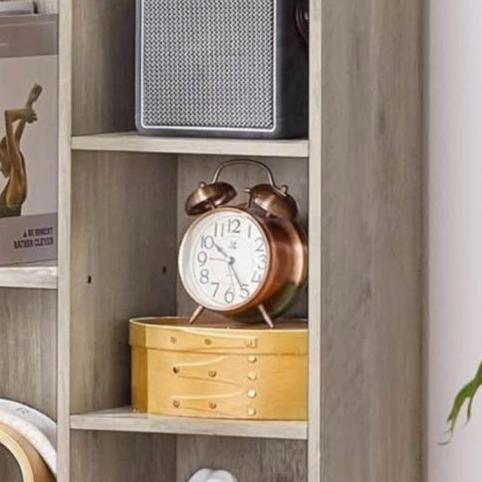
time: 10:25
